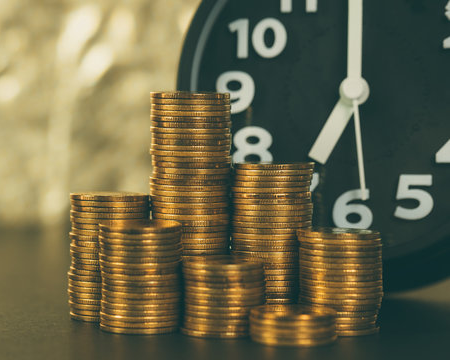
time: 7:00
